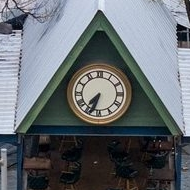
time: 7:33
